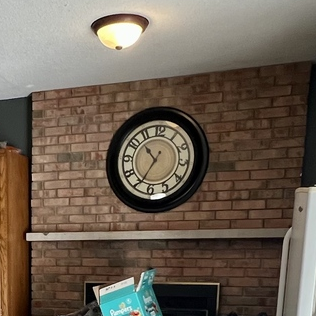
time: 10:34
